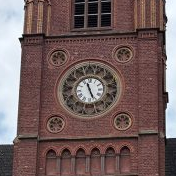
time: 11:25
